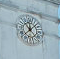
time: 12:07
